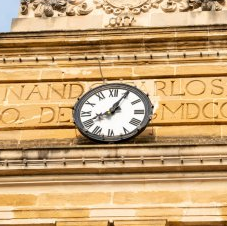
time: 8:04
